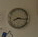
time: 8:16
